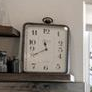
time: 11:40
